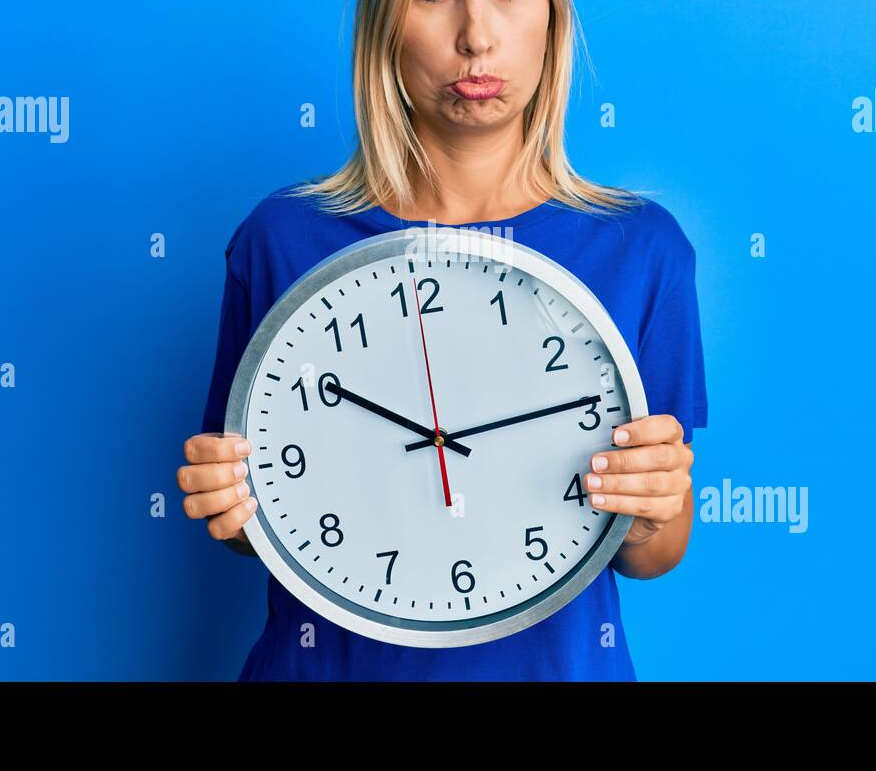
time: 10:14
